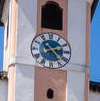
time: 2:23
